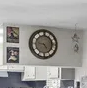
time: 4:46
